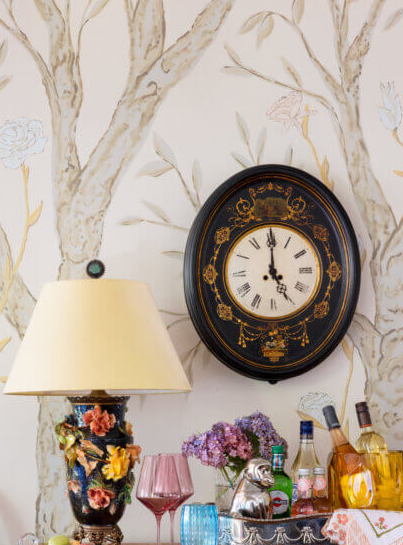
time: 5:00
